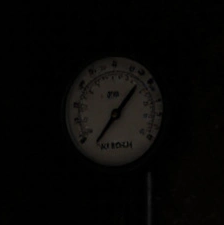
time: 7:07
